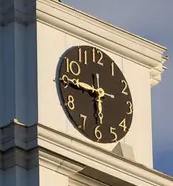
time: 5:45
